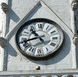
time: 10:42
